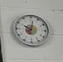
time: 10:01
